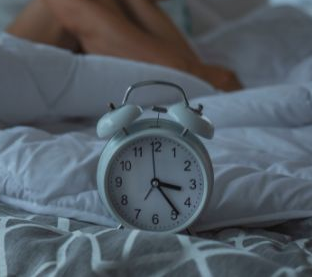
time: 3:23
